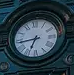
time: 6:43
